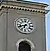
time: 6:41
